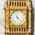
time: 11:22
